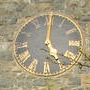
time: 5:00
